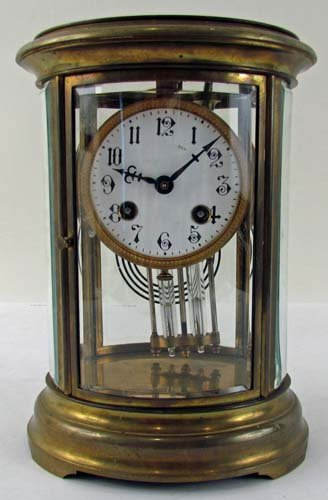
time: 9:08
